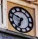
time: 6:48
